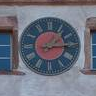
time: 1:14
